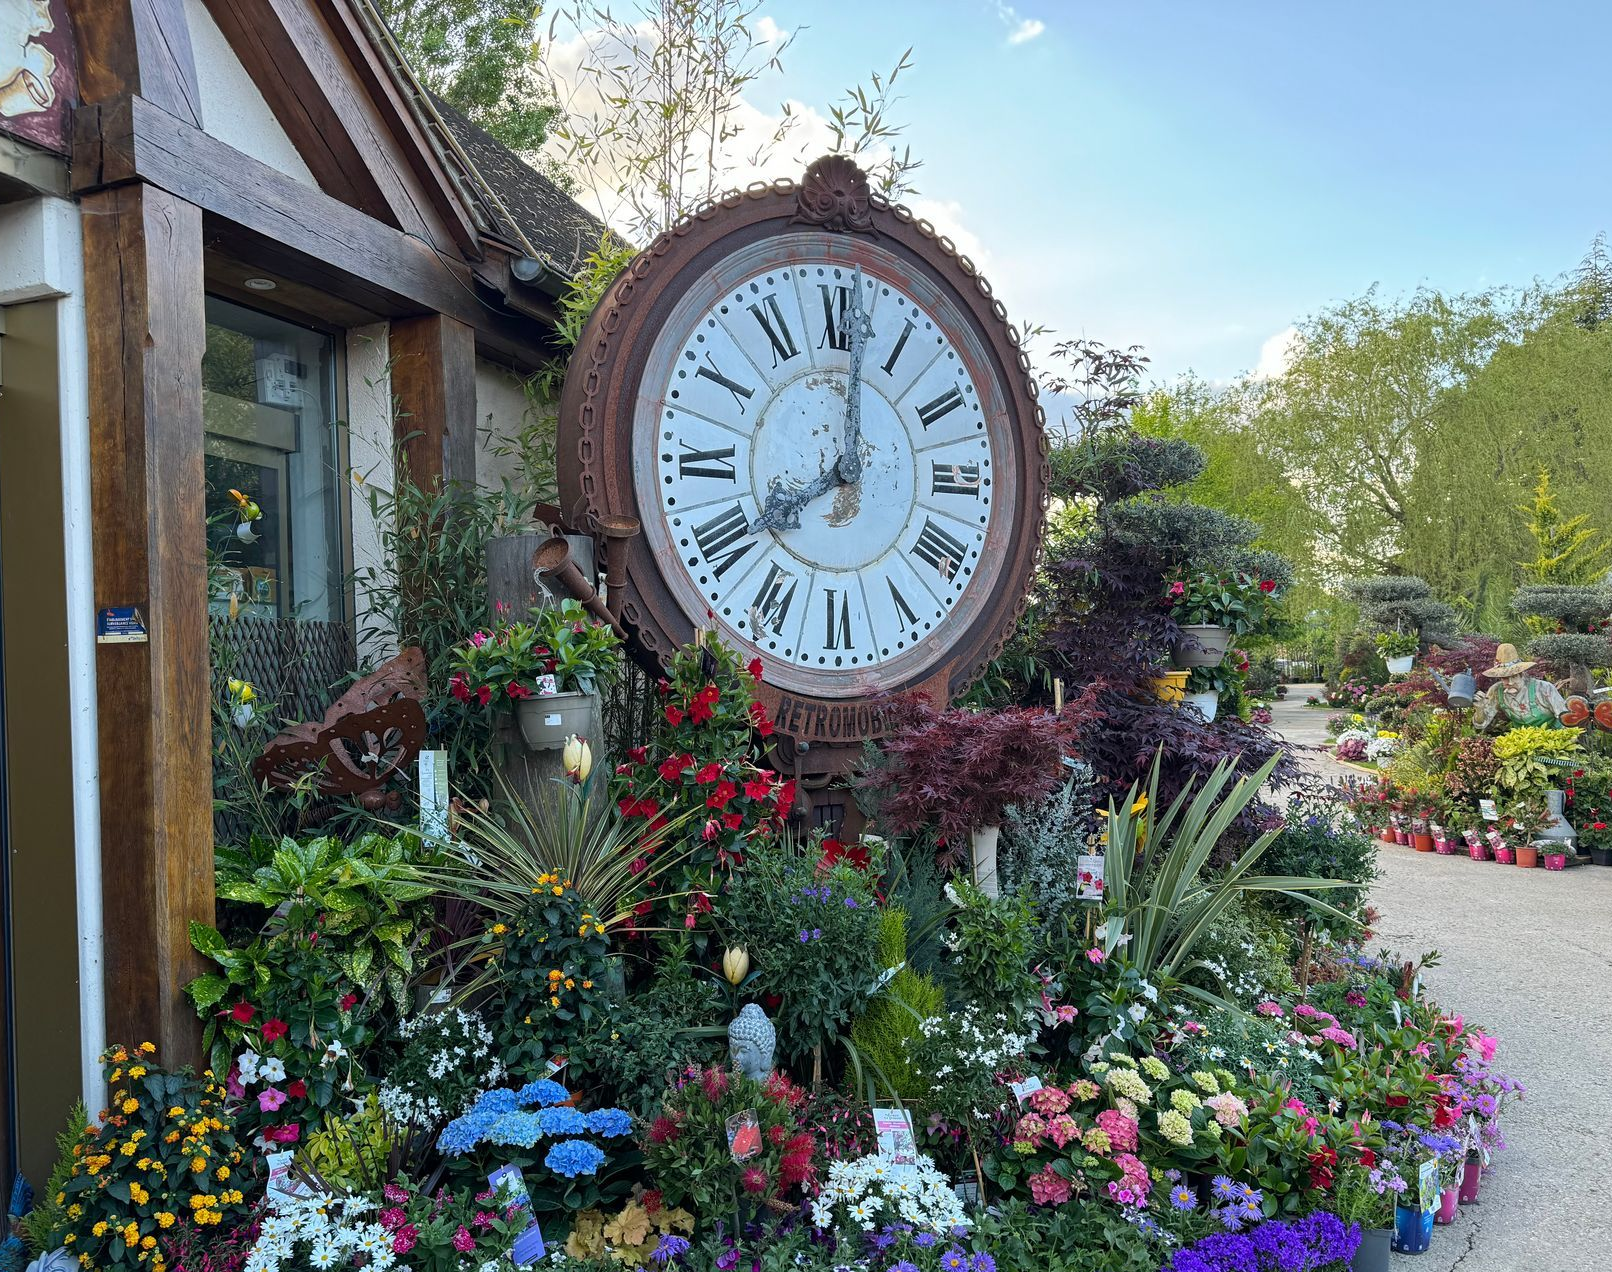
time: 8:01
